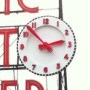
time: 2:52
